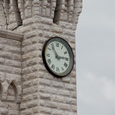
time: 2:54
